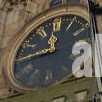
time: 11:43
